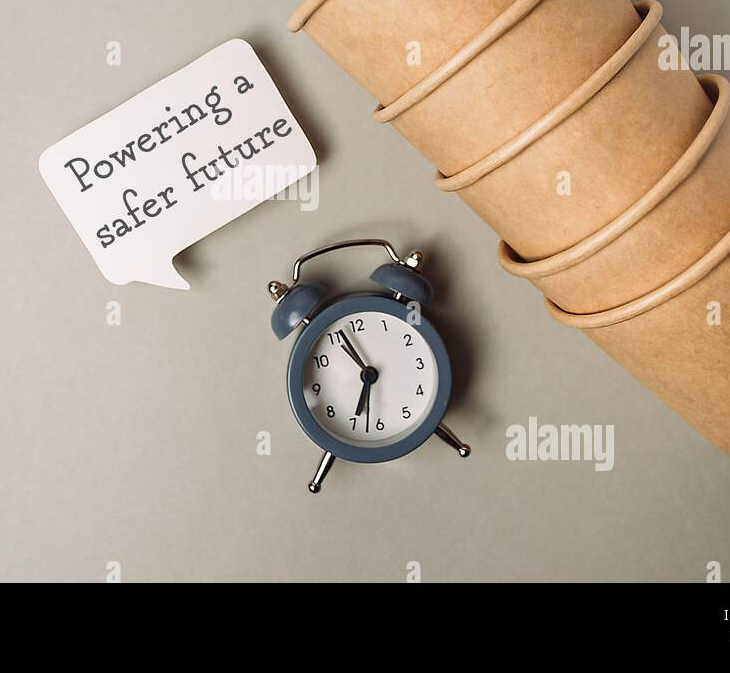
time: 6:56
